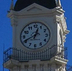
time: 12:40
